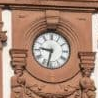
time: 9:32
